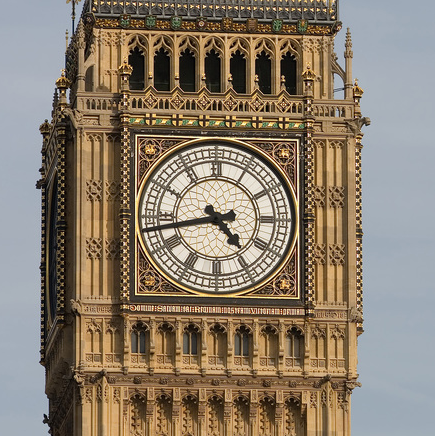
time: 4:42
